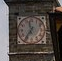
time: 11:36
